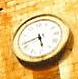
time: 5:42
